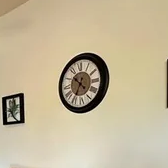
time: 10:34
